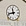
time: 11:42
